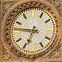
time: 6:46
